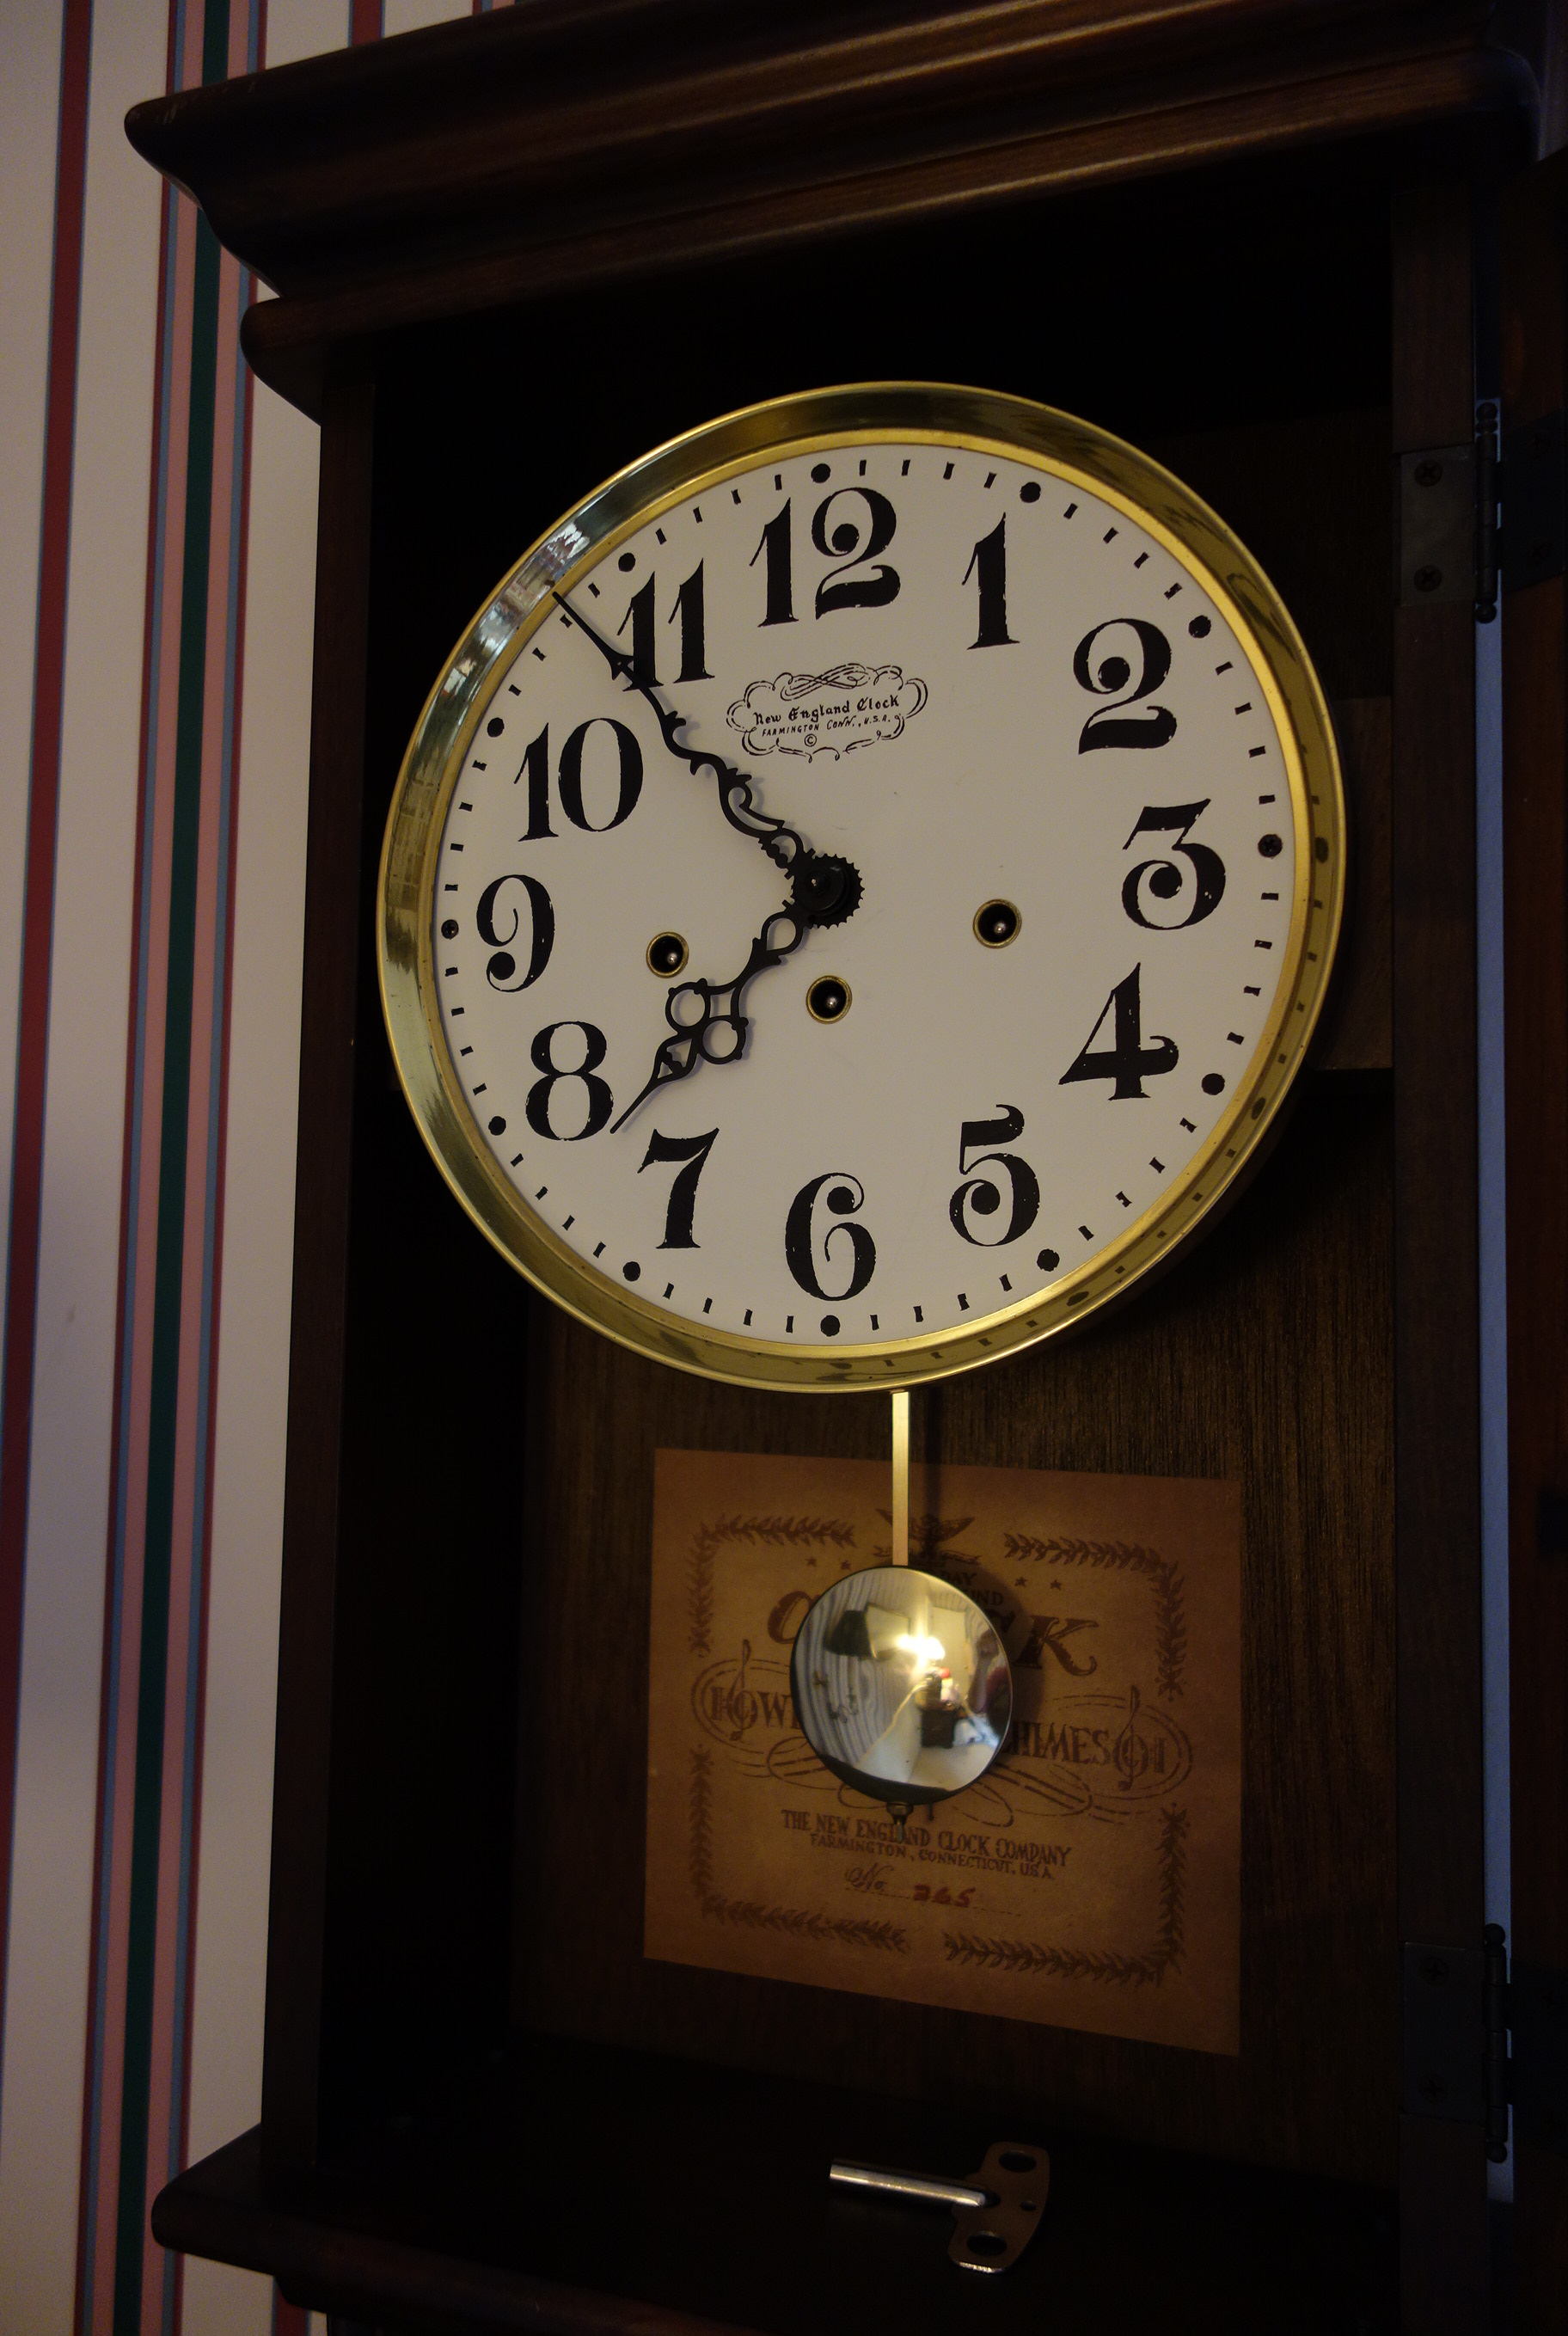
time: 10:37
